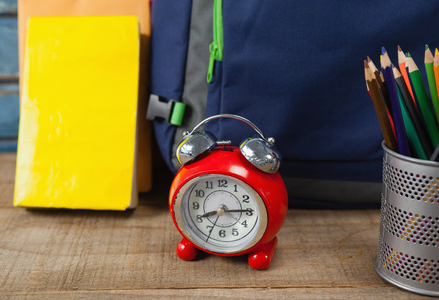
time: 8:14
